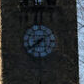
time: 1:38
